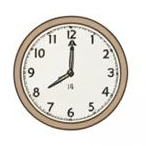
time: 8:00
